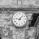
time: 9:07
